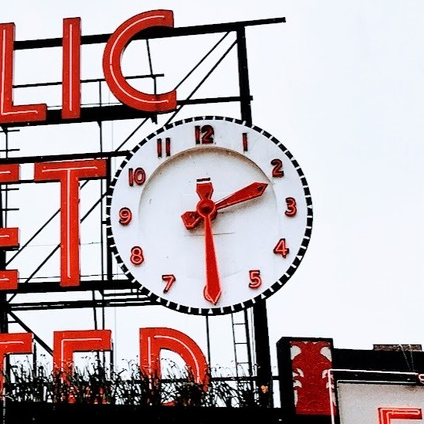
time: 2:29
